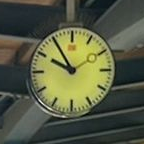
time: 9:54
